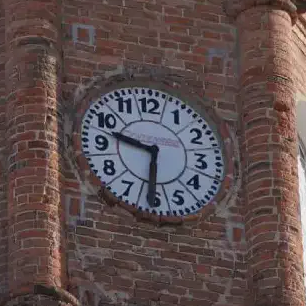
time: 9:31
